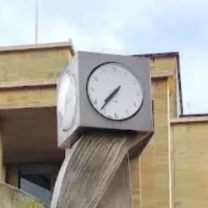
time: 7:36
